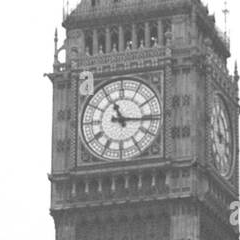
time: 11:15
